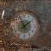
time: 1:56
